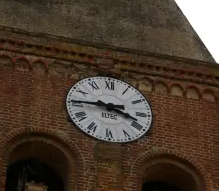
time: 3:45
